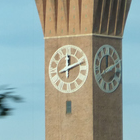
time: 12:11
